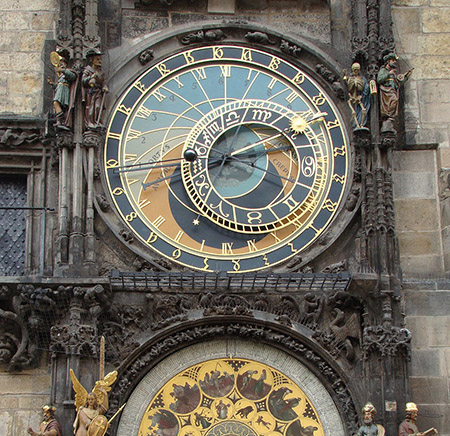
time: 8:12
